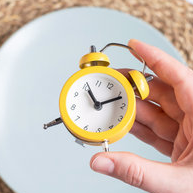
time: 11:11
